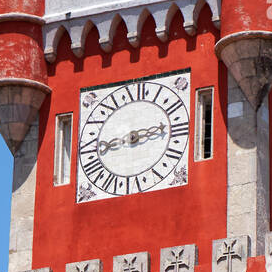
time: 8:13
